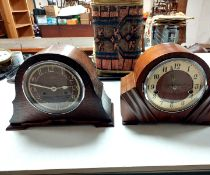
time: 2:46
